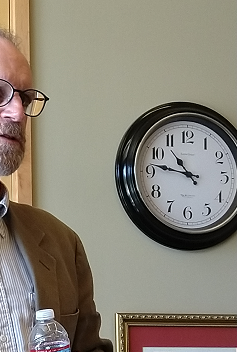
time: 10:46
